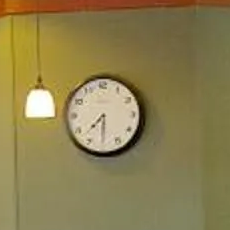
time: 7:30
